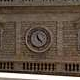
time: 11:22
